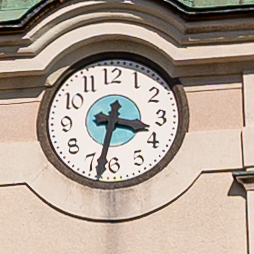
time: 3:32
